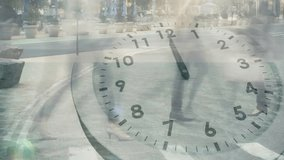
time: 7:00
